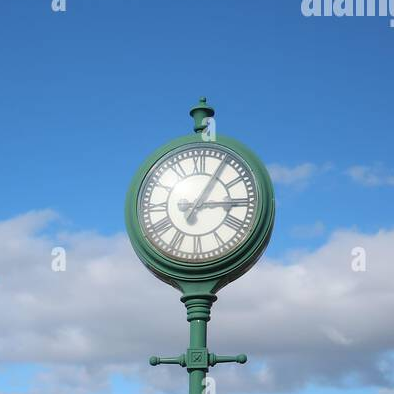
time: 3:04
